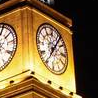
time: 7:06
